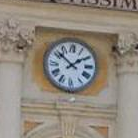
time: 1:51
